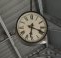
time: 6:18
